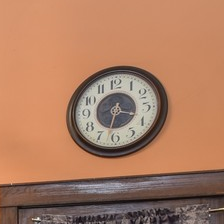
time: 3:32
